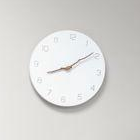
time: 8:08
